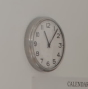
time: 11:07
